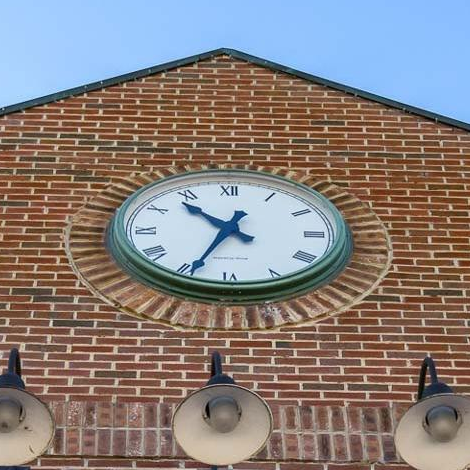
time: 10:34
